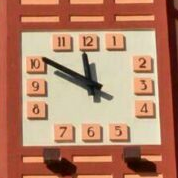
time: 11:50
